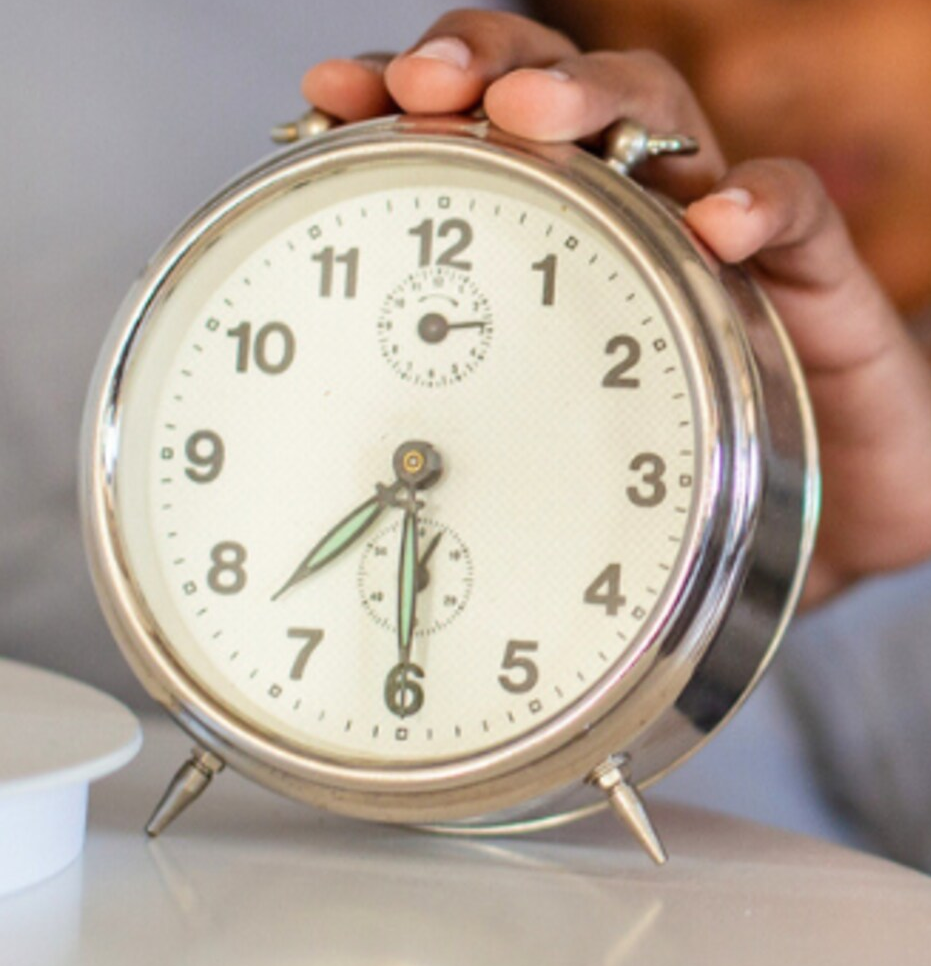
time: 7:30
